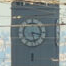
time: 3:27
